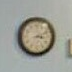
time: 3:11
